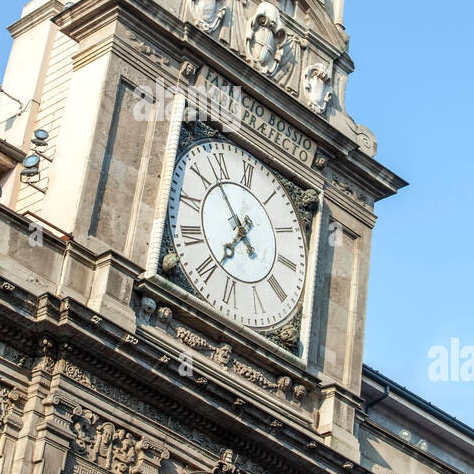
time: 6:52
